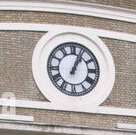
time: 1:03
